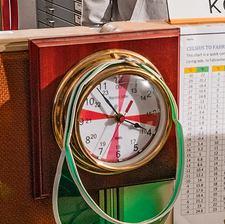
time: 3:53
